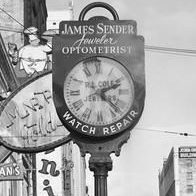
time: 2:22
